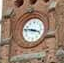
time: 3:46
